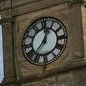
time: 12:36
